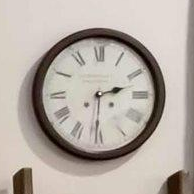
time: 2:30
